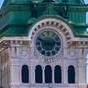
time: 2:48
